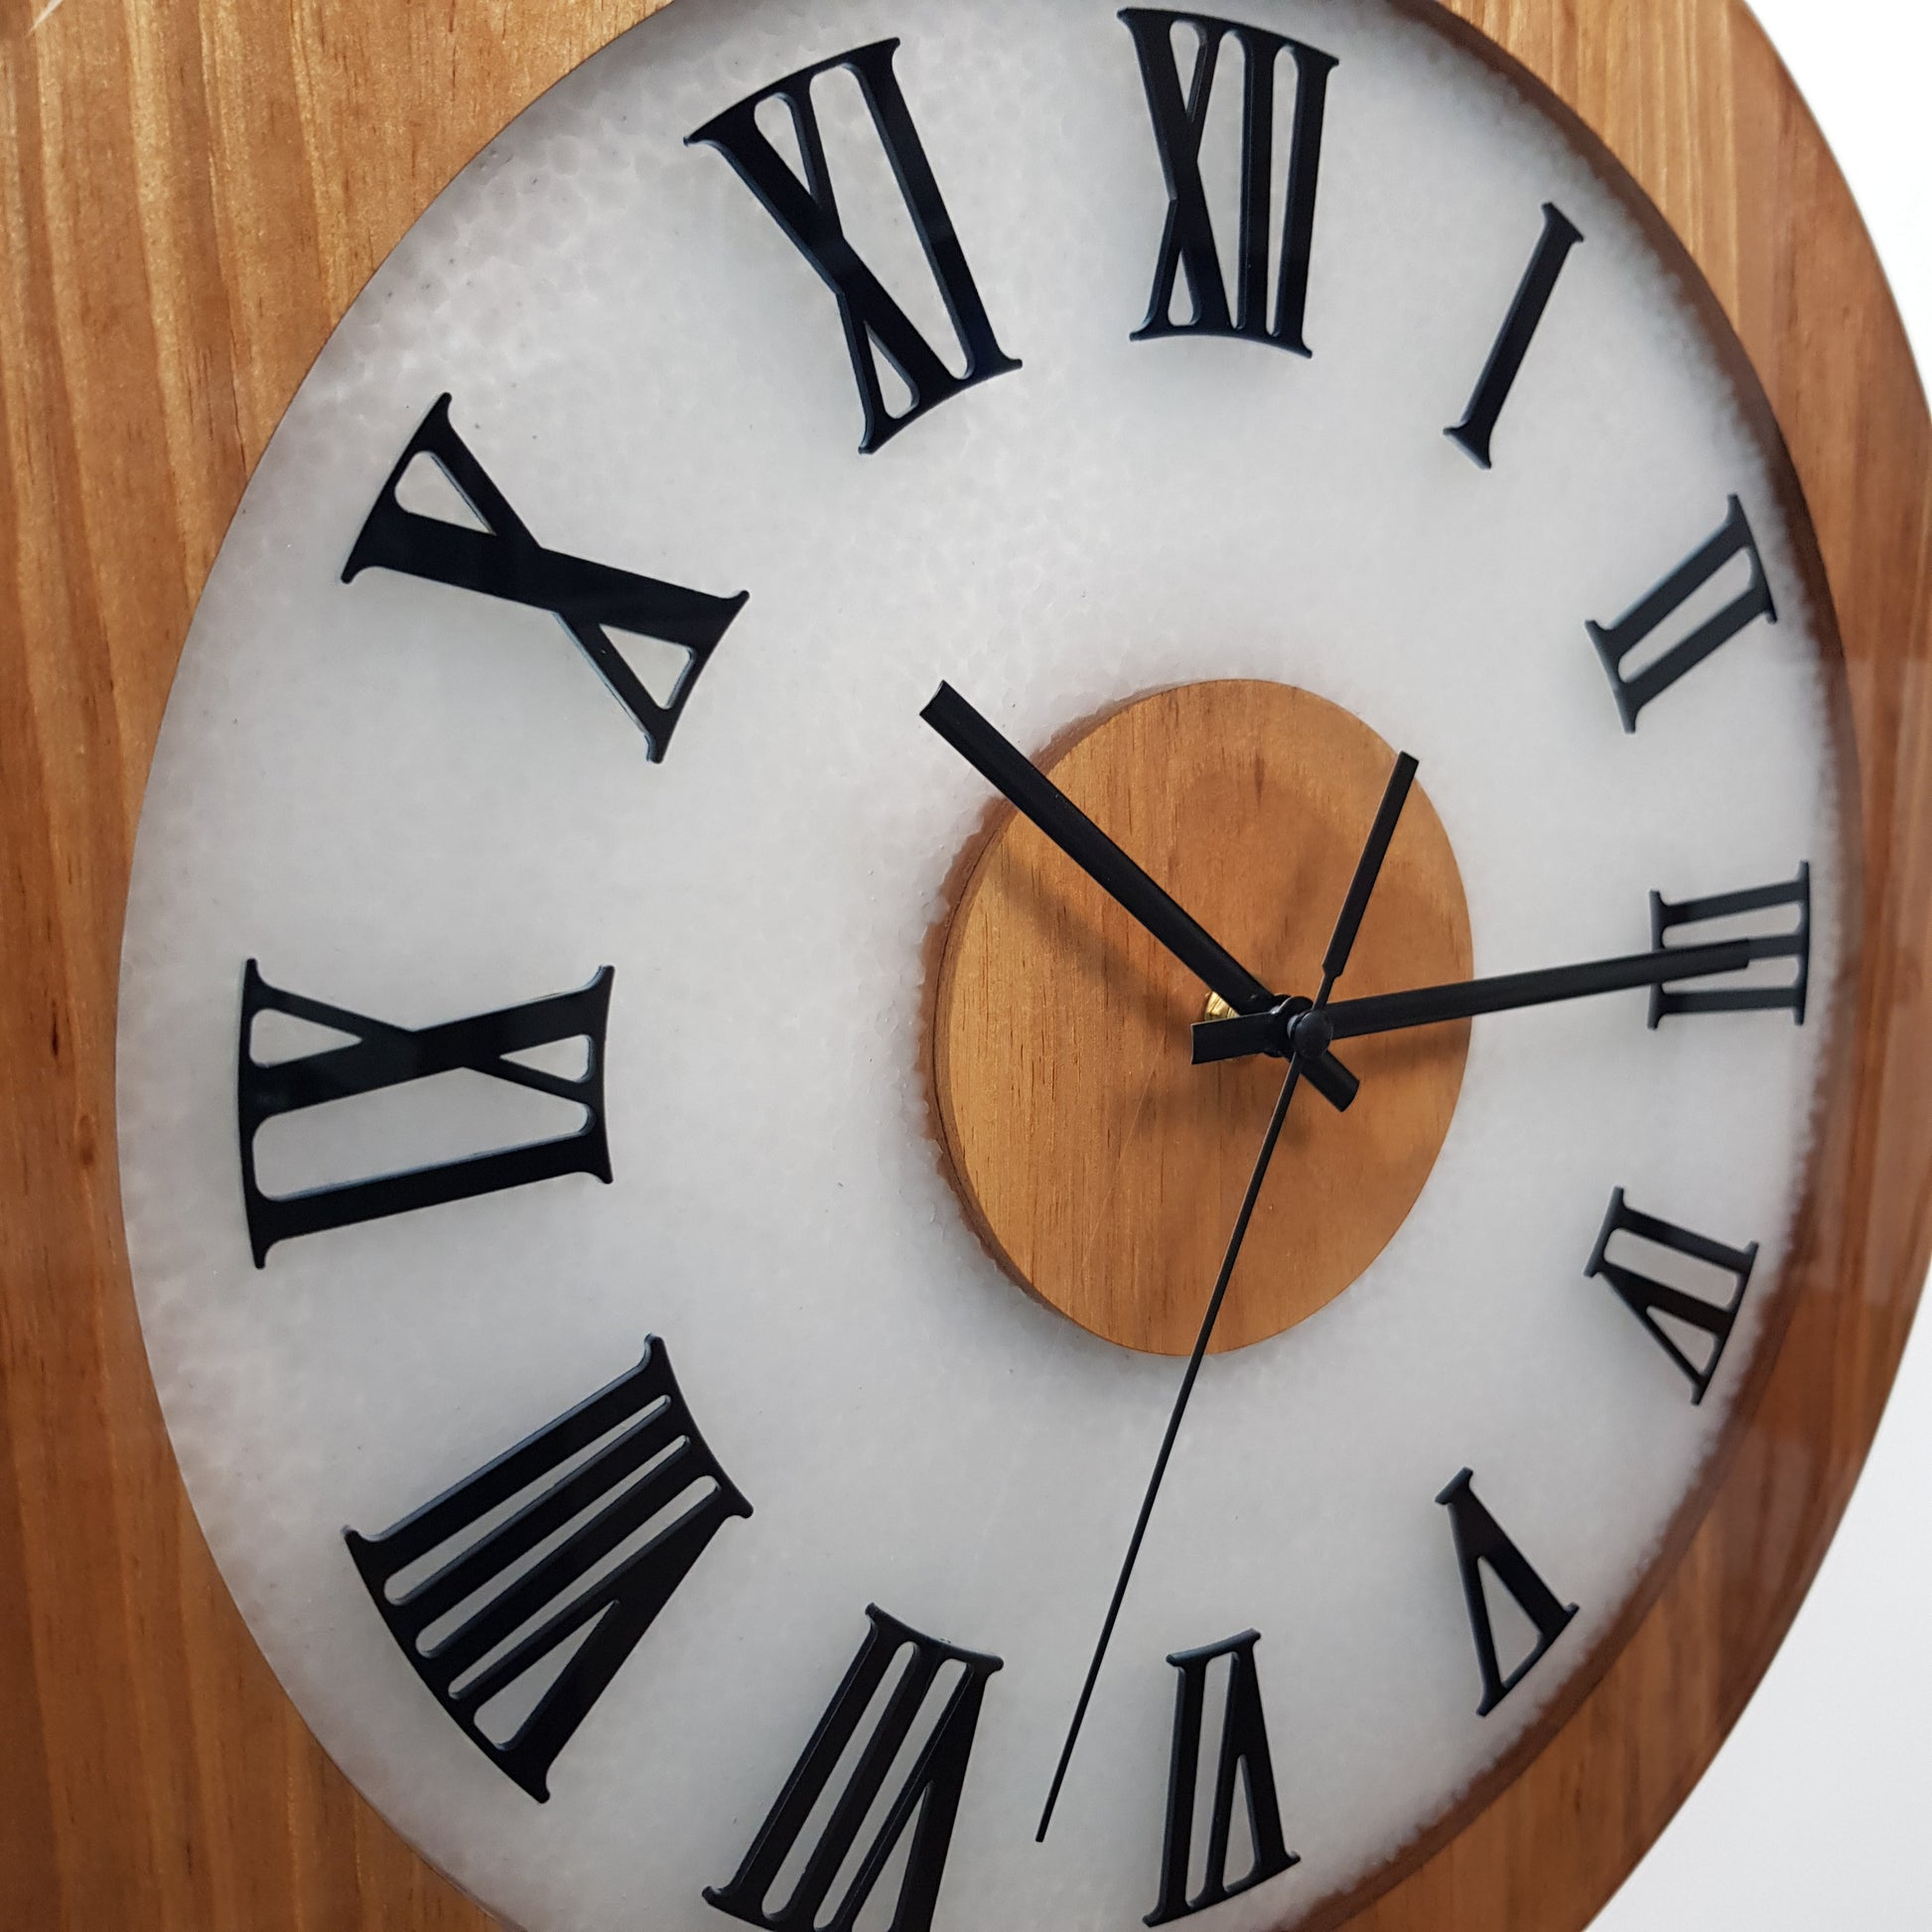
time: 10:14
